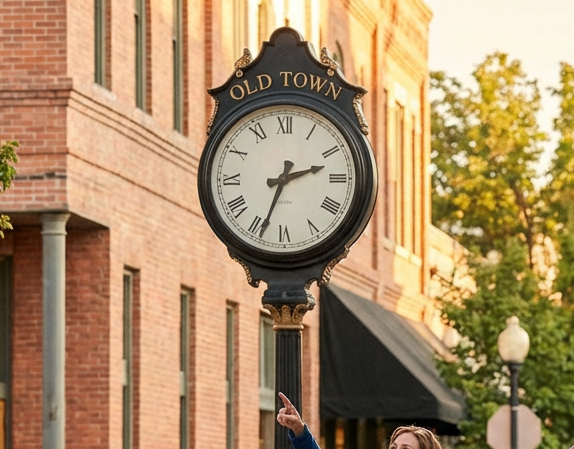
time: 2:33
